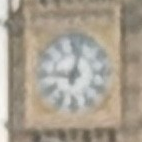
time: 9:01
